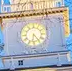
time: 6:23
